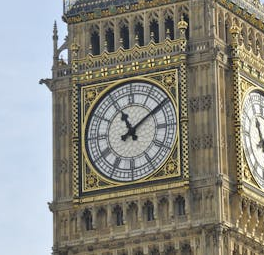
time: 11:09
